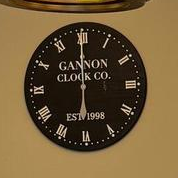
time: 5:59
